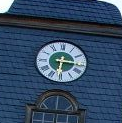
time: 6:15
